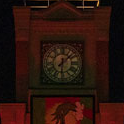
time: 6:07
